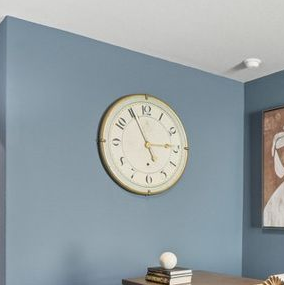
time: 2:55
